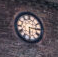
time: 6:14
